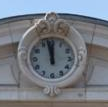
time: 11:57
